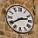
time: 2:39
